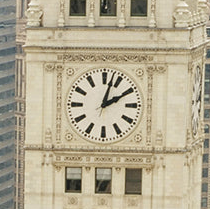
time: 2:02
